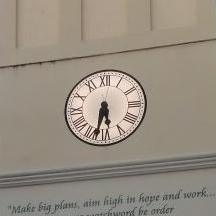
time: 5:32
